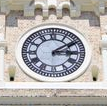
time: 3:09
